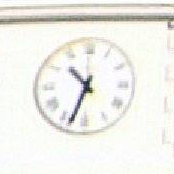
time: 10:33
